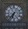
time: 6:36
